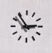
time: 2:54
